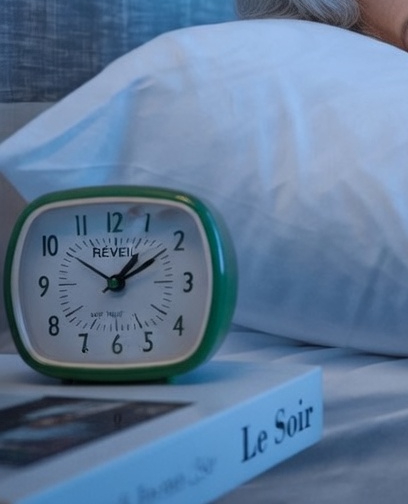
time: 1:09
